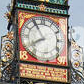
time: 7:54
